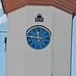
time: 11:46
